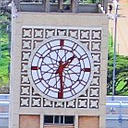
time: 1:29
